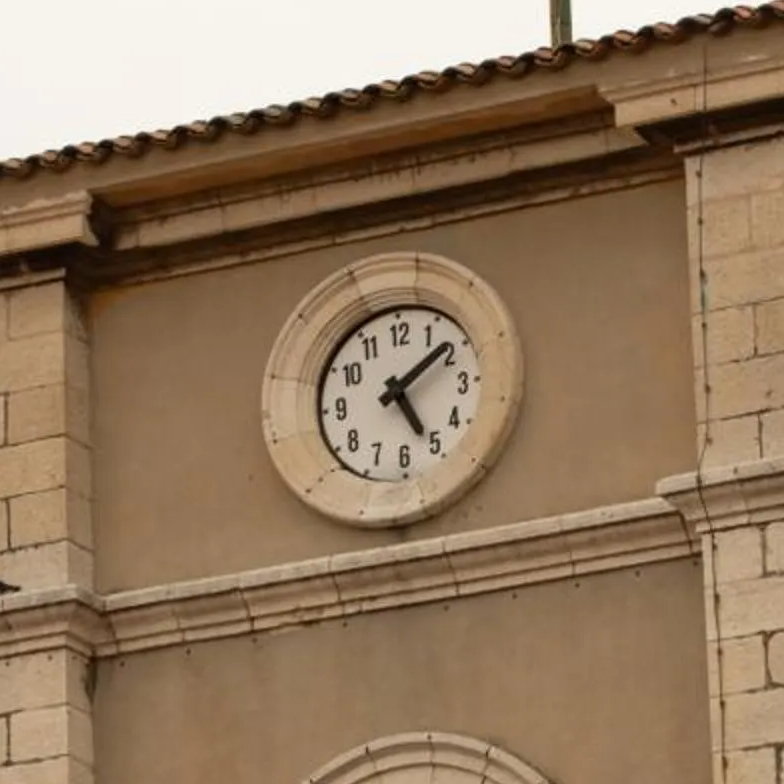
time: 5:08
